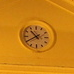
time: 10:39
